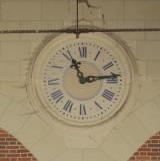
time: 11:13
